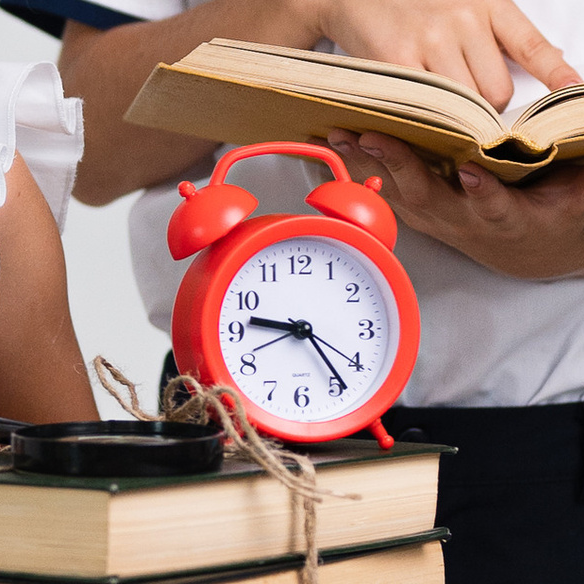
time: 9:23
